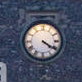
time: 4:20
